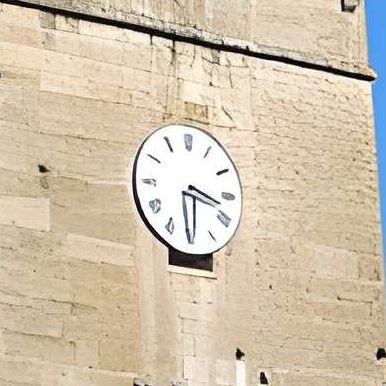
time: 3:29
